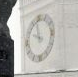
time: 9:57
